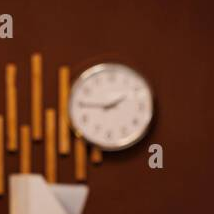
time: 1:45
